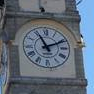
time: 11:11
